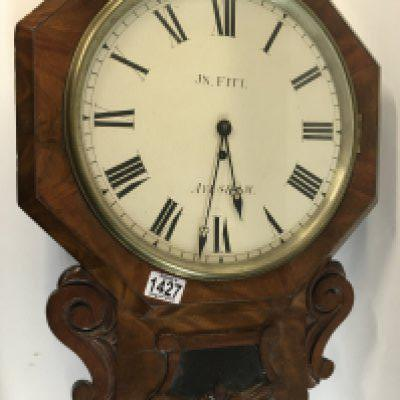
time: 5:31
